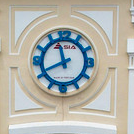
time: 11:40
